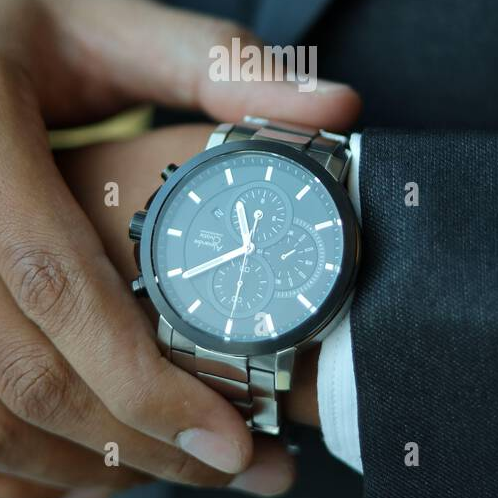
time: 11:39
